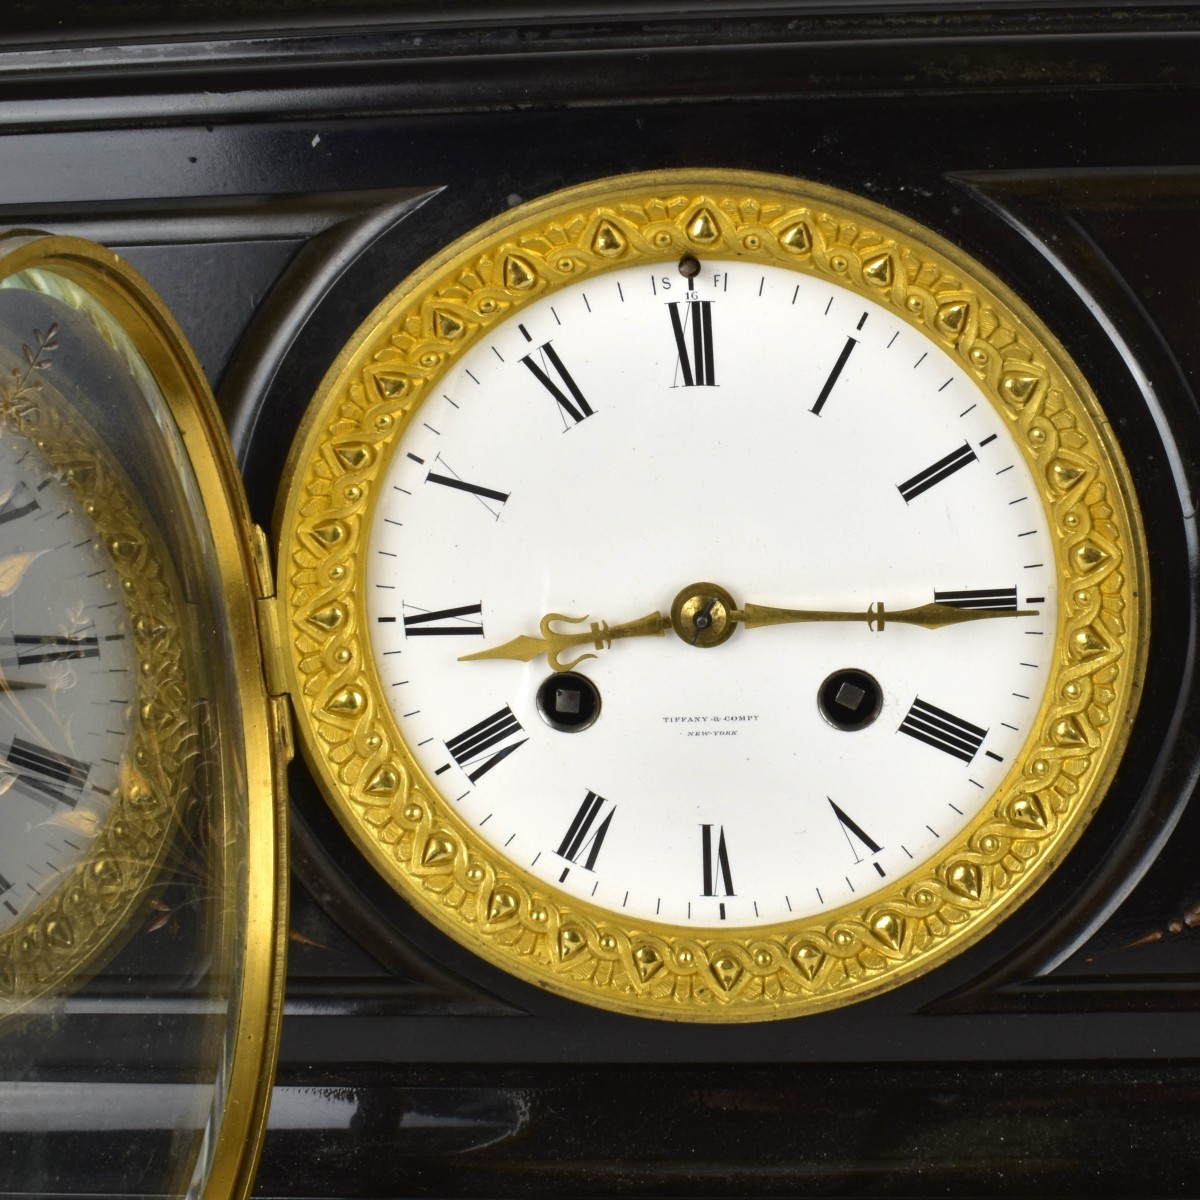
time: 8:15
